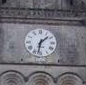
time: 1:32
